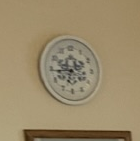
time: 11:44
